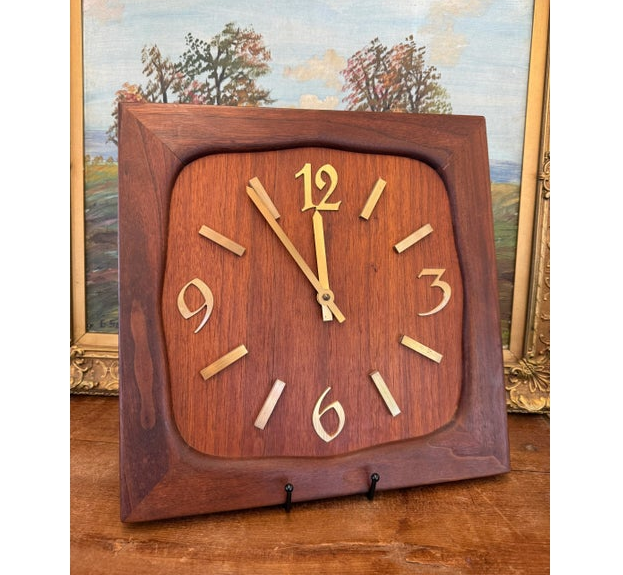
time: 11:53
